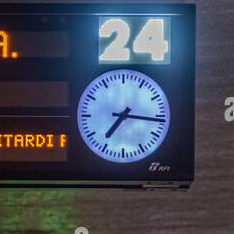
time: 7:16
